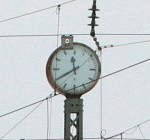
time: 11:40
